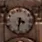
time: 3:32
